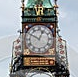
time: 12:49
